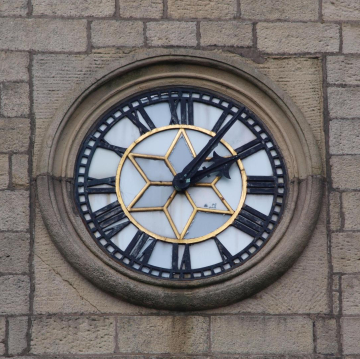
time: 2:06
